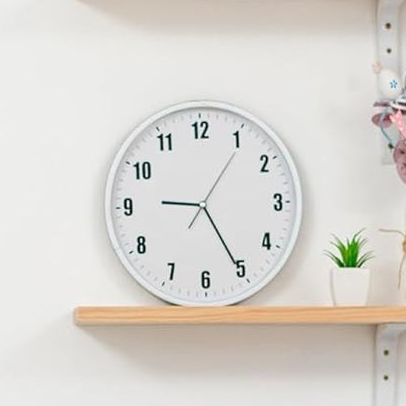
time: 9:25
